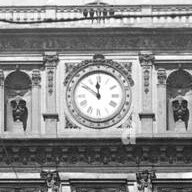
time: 11:50
